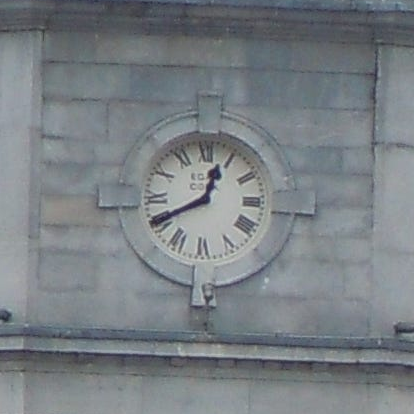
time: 12:40
